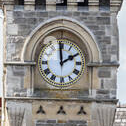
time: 1:59
